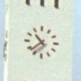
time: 10:38
